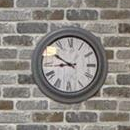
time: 8:50
